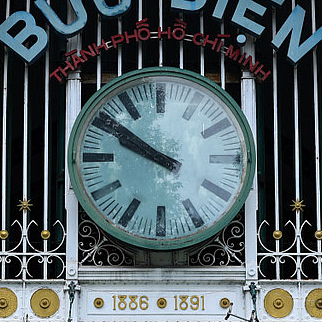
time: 9:50
